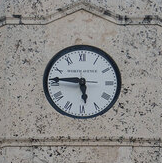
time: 5:45
